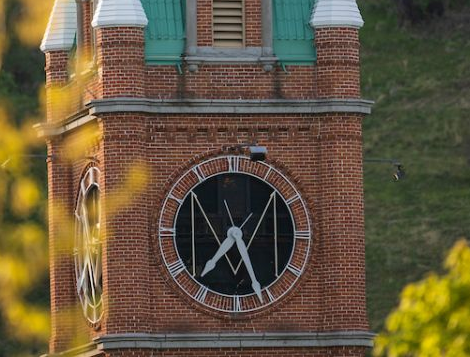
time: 7:26
